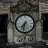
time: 7:32
